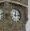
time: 12:13
